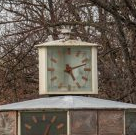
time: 5:11
